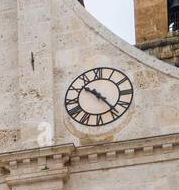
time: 10:23
